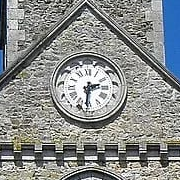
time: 2:31
